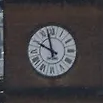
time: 9:57
